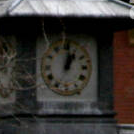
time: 1:01
